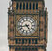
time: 4:42
